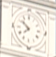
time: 7:51
